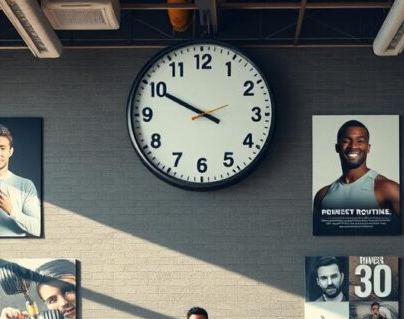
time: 9:49
